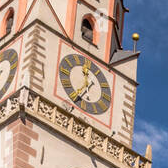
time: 11:35
